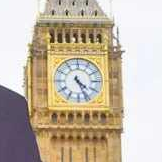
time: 4:26
